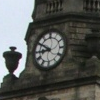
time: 8:50
